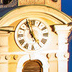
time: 4:57
